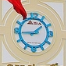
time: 1:44
